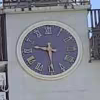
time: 9:29
